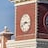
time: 2:40
